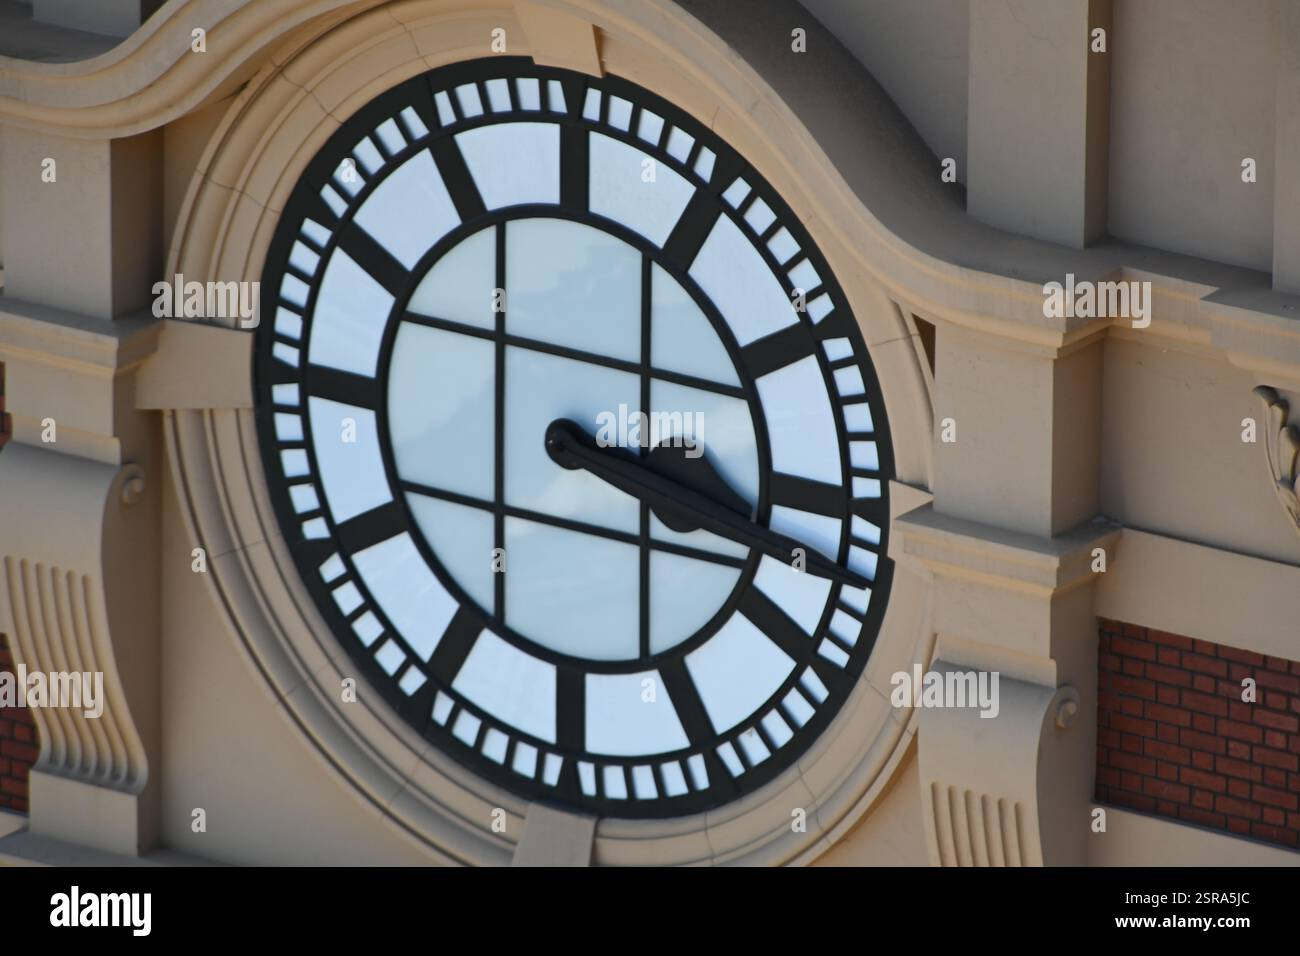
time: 3:17
